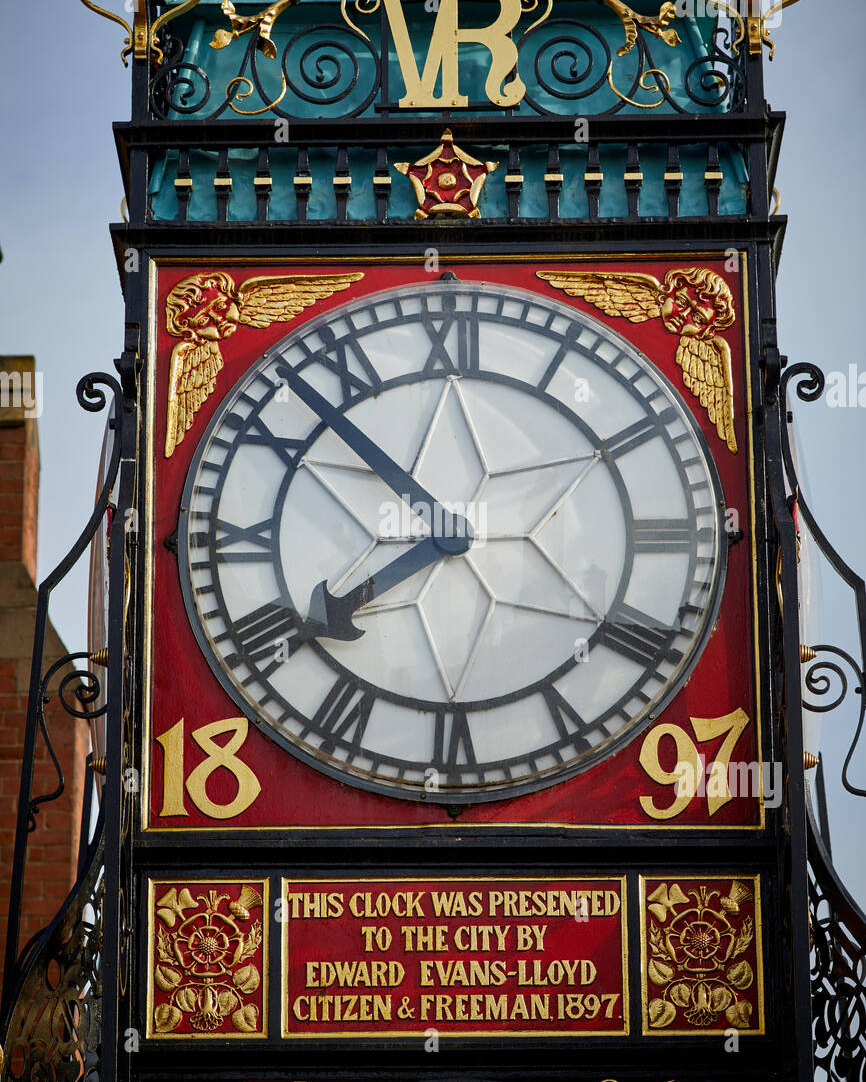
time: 7:52
